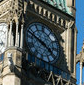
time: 3:48
